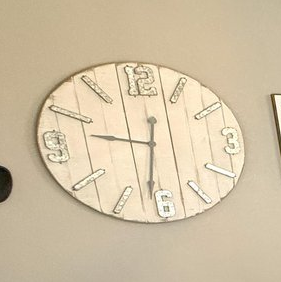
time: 9:31
